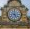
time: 4:59
